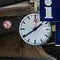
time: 1:39
